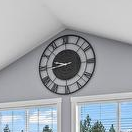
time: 9:44
